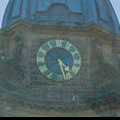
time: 4:26
